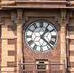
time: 1:22
